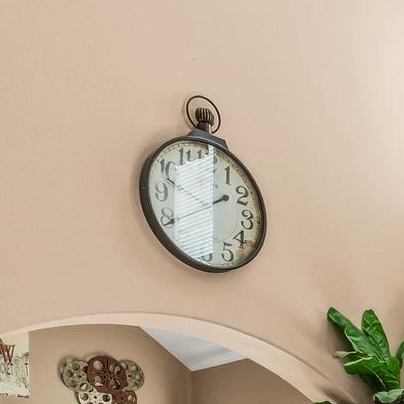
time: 1:47
